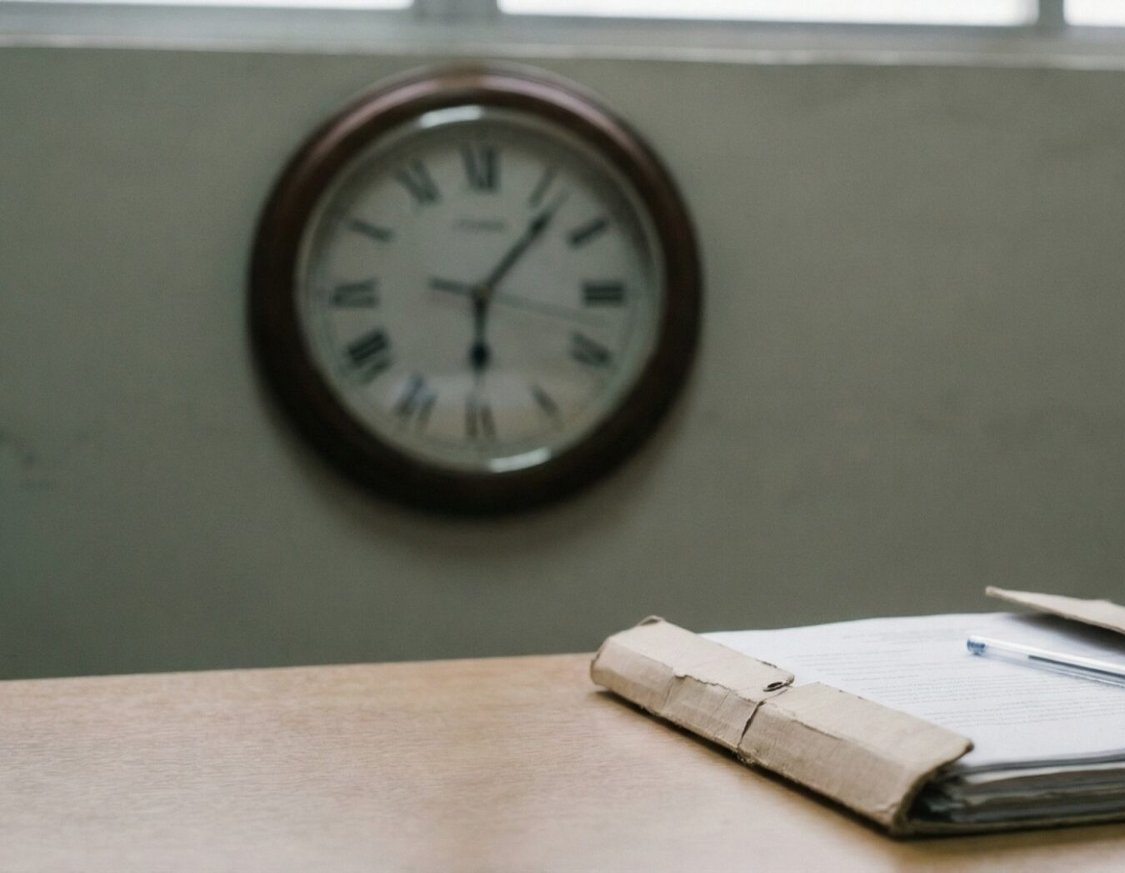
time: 6:06
